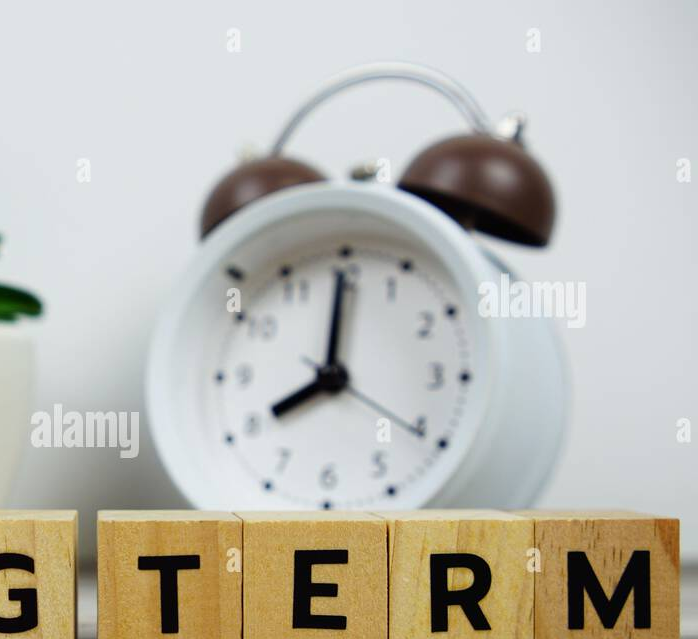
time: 8:00
